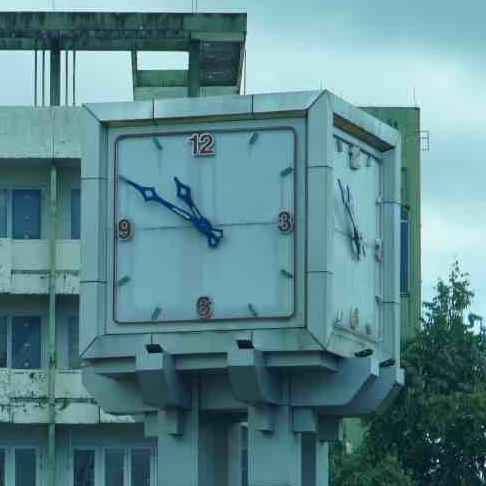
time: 10:50
